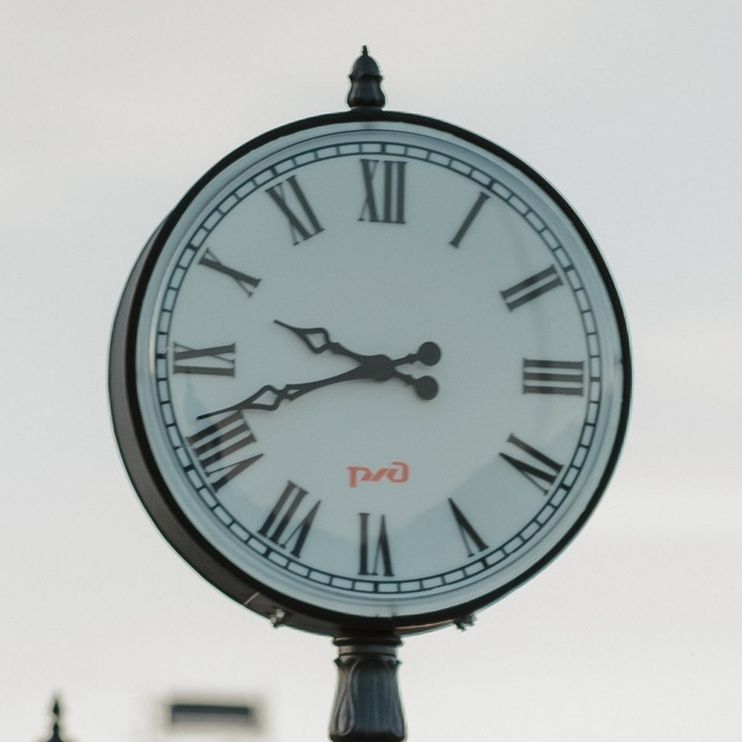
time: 9:41
